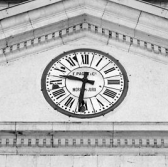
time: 9:31
